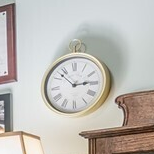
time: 2:52
